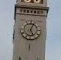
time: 5:03
